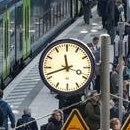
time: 11:41
